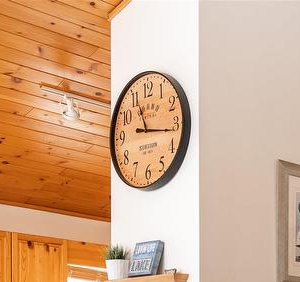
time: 11:16
